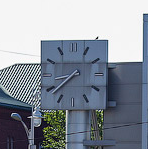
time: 8:38
